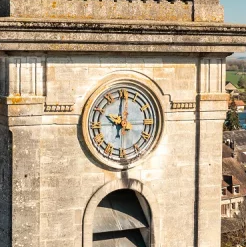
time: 10:00
